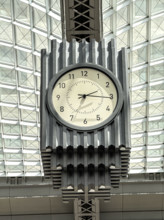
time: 2:15
